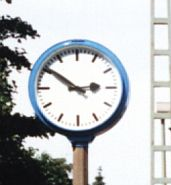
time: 2:50
